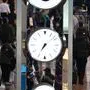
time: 7:08
